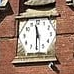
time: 11:30
